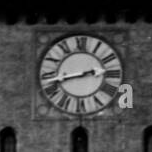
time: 2:42
